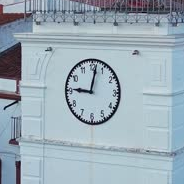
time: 9:01
